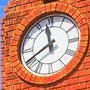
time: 11:40
